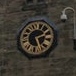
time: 2:25
